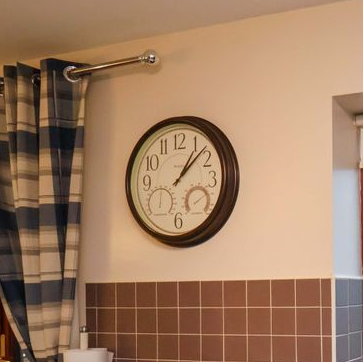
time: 1:07
